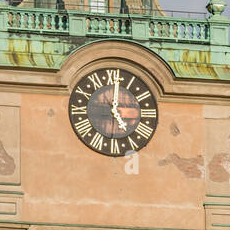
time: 5:00
